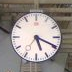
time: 5:19
